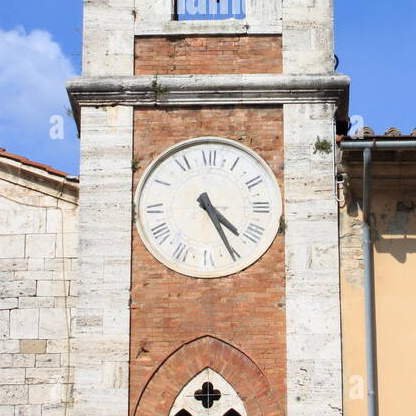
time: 4:25
